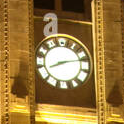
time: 8:14
